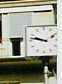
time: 9:47
